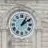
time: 1:09
